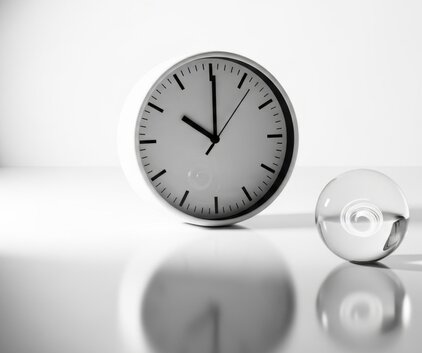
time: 10:00
